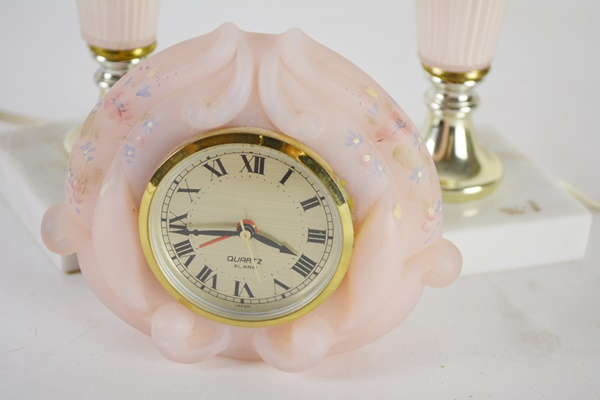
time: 3:43
